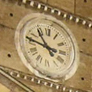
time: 10:46
